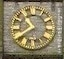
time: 10:39
